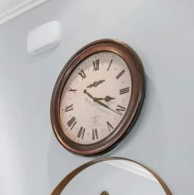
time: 3:20
